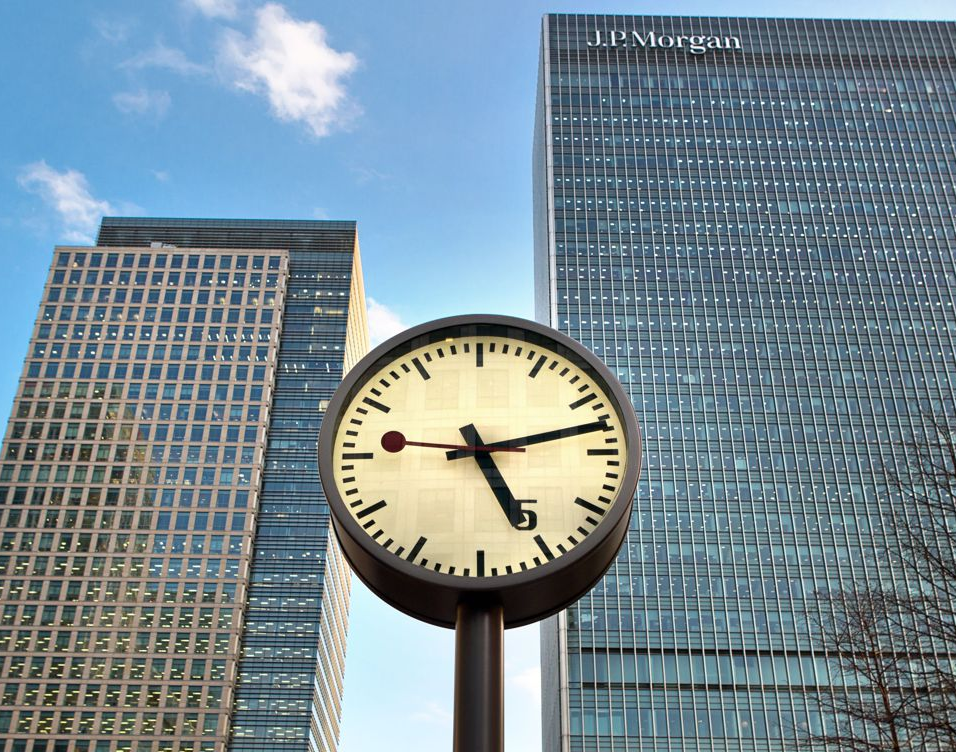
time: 5:12
